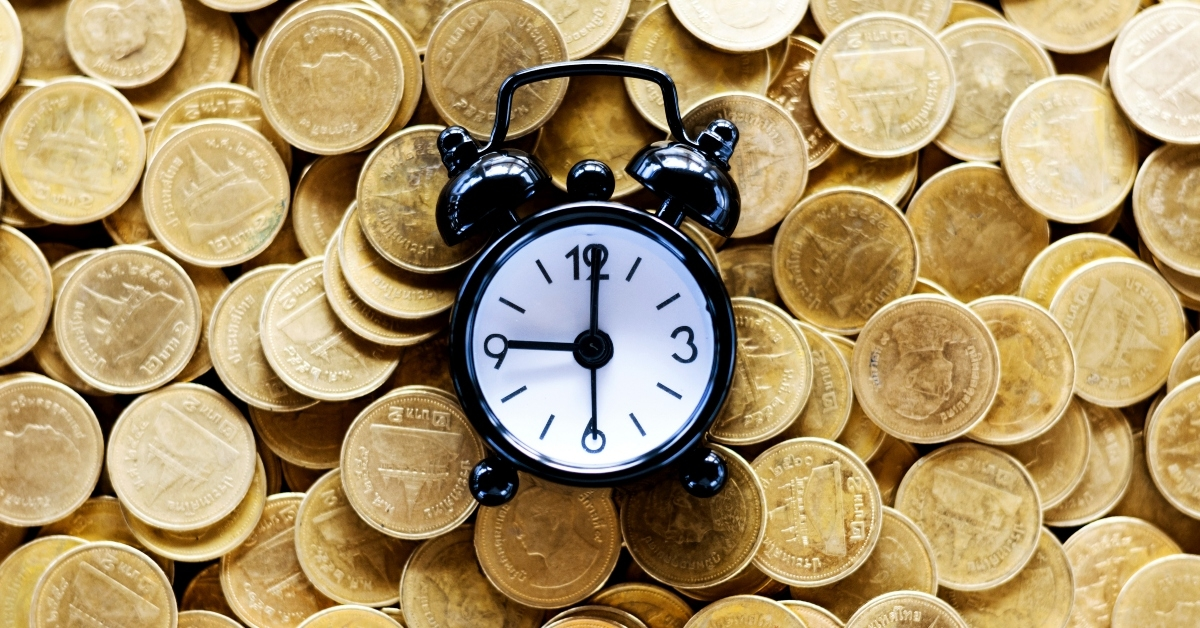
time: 9:01
